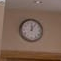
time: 12:05
